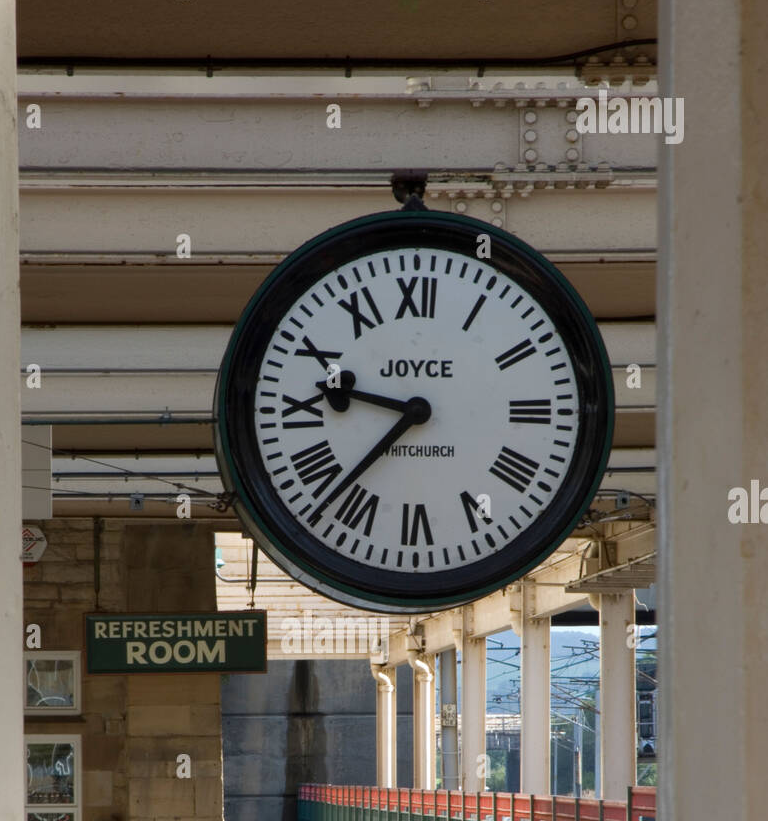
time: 9:36
